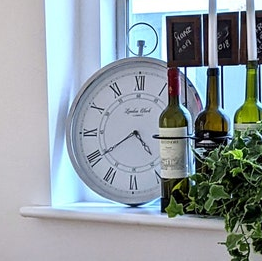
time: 4:39
